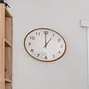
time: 1:00
